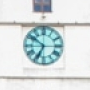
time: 6:50
